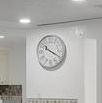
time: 10:19
